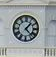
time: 1:22
